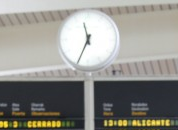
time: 11:34
